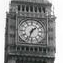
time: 1:33
